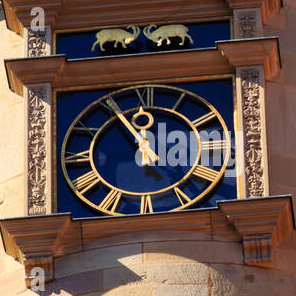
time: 11:55
